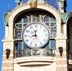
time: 11:42
